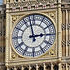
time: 2:58
